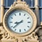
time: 8:38
